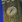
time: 7:07
